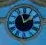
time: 1:57
